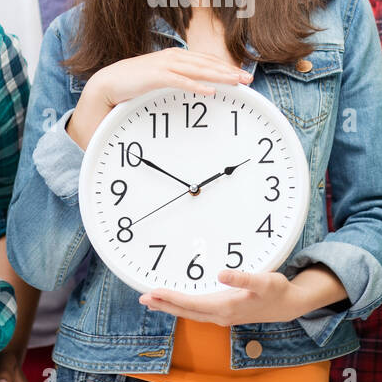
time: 1:50
